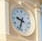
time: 9:33
